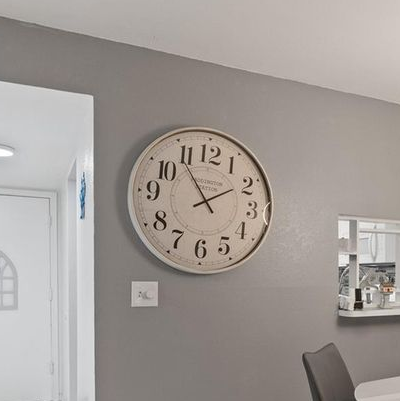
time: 1:54
